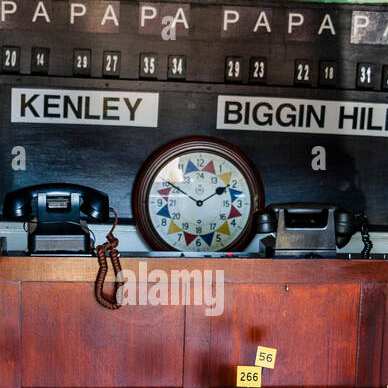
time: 1:50
